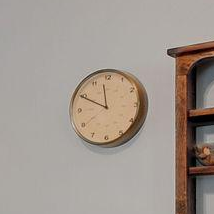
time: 11:49
